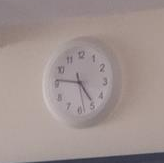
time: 4:46
